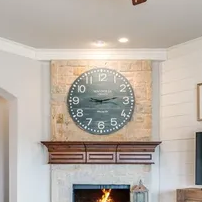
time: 9:13
